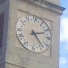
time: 2:23
